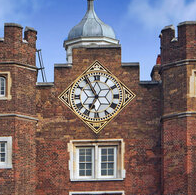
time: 6:54
